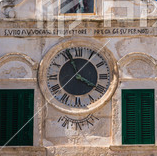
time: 3:56
